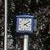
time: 4:09
